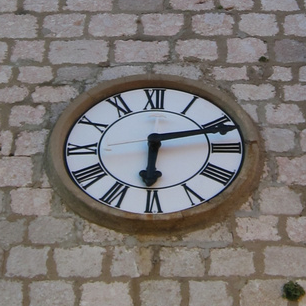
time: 6:12
